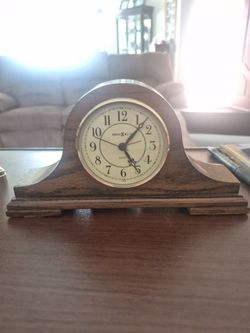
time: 5:07
